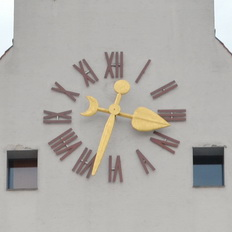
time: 12:33
